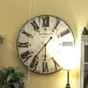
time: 1:36
